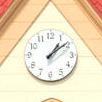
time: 1:09
